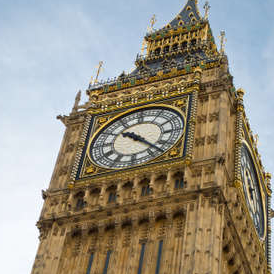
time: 10:22
